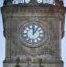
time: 12:06
